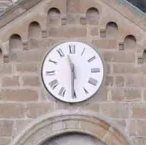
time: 11:30
